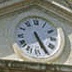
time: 5:25
